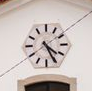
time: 4:25
